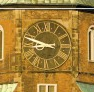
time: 8:48
